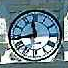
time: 11:43
